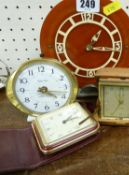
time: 4:17
